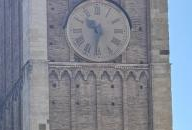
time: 10:32
